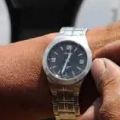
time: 12:32
